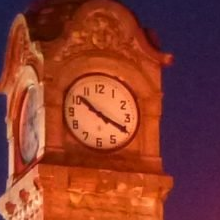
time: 10:19
